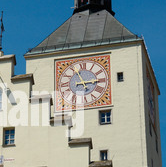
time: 11:14
